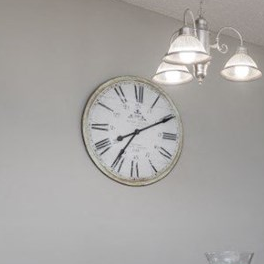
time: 7:10
